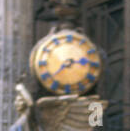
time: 2:38
